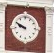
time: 9:50
